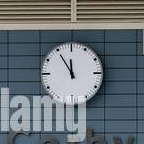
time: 11:54
